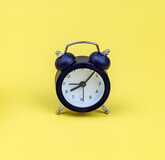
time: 8:07
